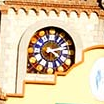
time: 2:21
